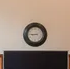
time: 8:45
